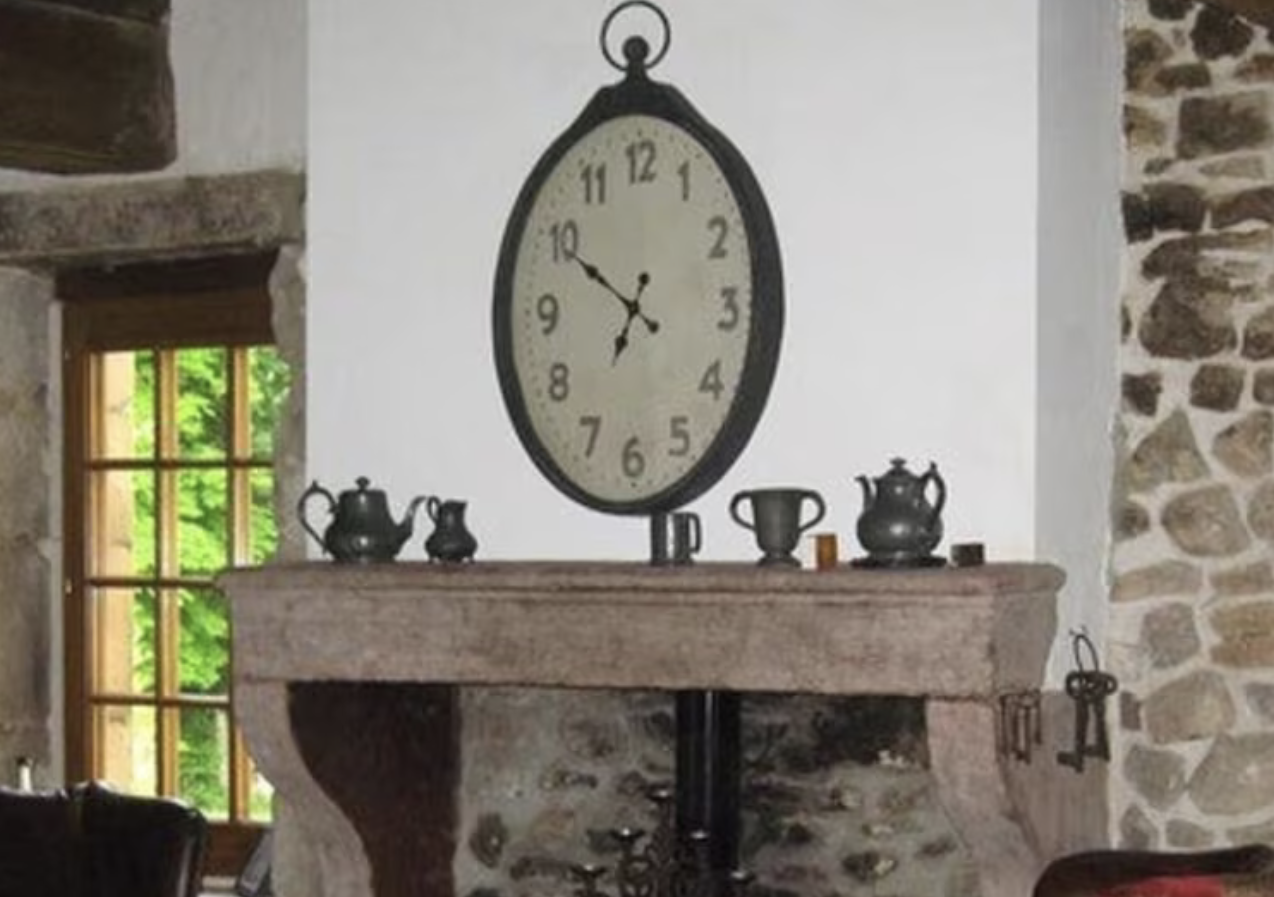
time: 6:49
